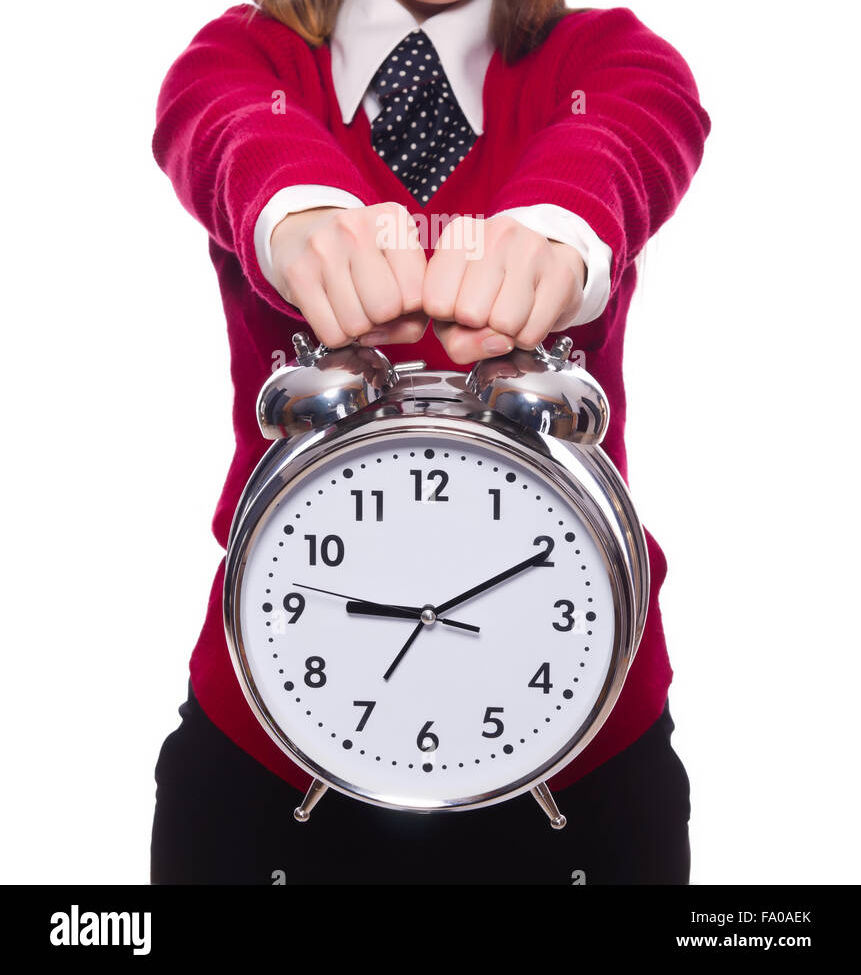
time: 9:10
